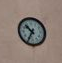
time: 10:35
